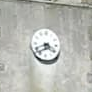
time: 3:40
